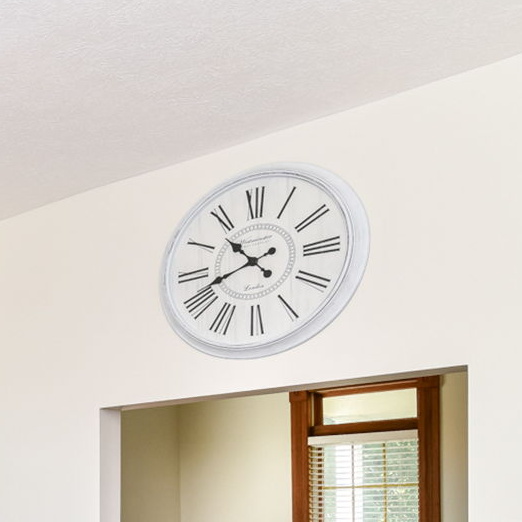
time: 10:41
